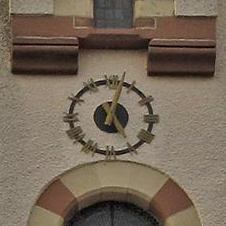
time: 5:03
